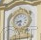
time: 8:32
